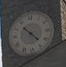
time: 10:22
